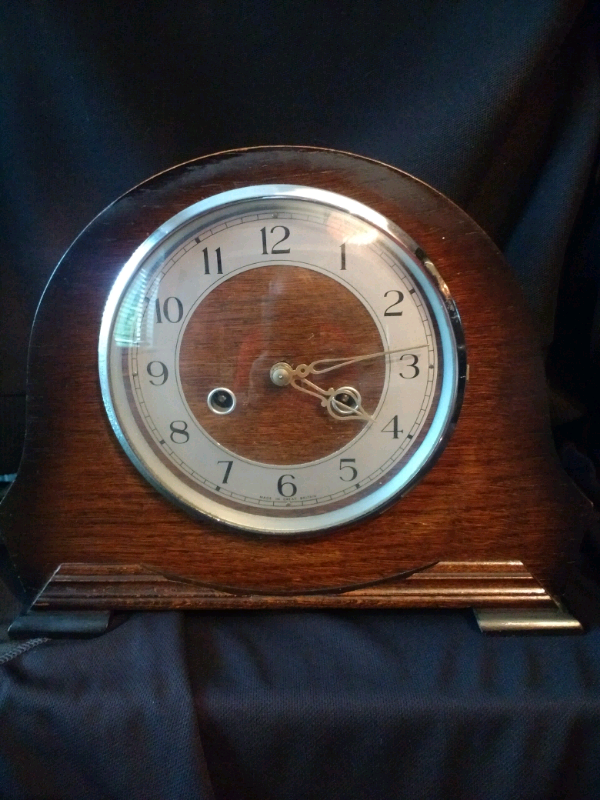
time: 4:14
